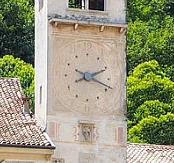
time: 2:18
